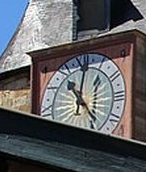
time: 12:23
